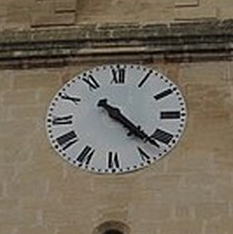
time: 4:22
